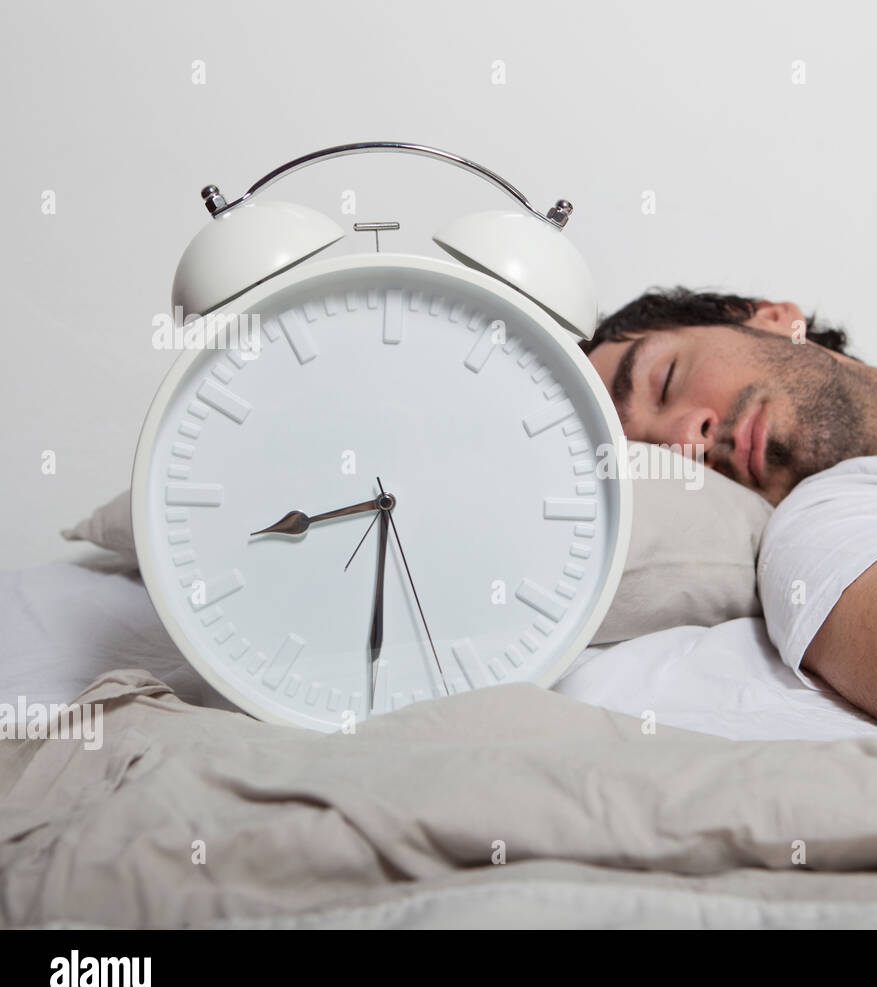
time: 8:29
